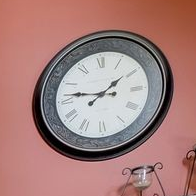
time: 1:46
